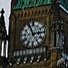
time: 2:56
